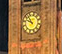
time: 9:52
